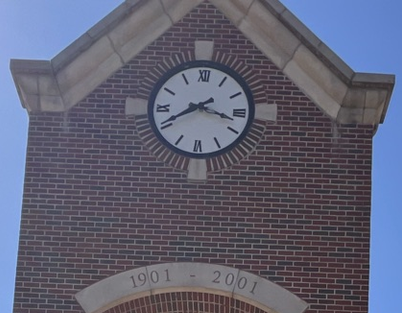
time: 3:40
